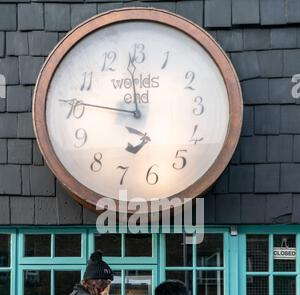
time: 11:46
